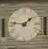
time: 1:46
